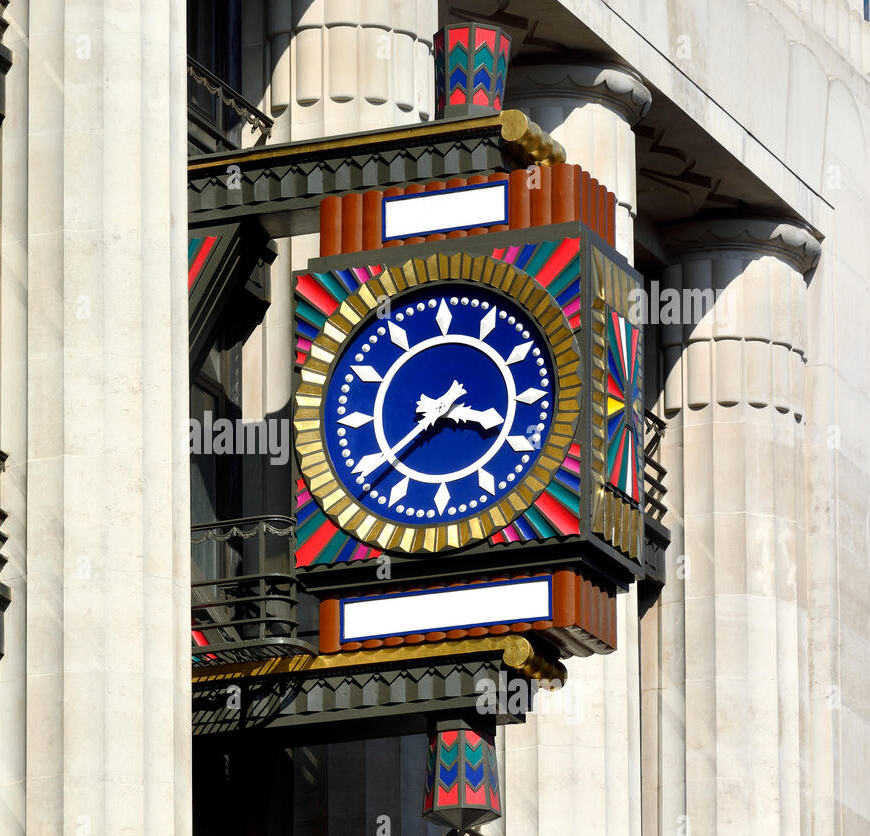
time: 3:38
